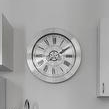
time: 2:09
